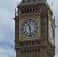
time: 11:28
